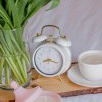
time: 8:17
